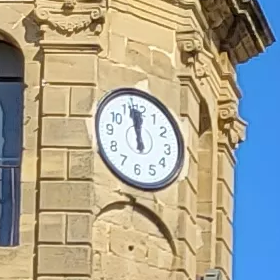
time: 11:57
